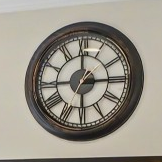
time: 2:59
